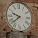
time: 9:38
